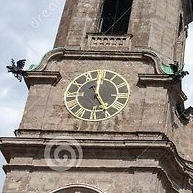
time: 4:59
